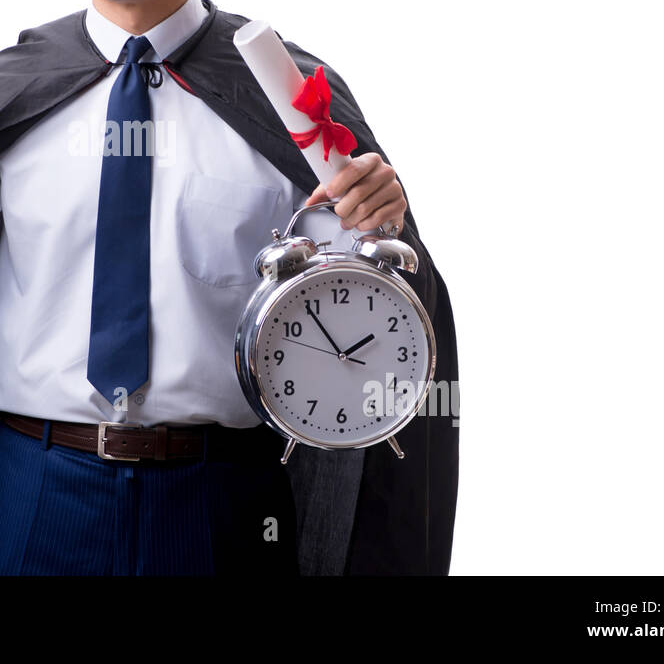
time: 1:54
